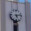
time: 5:12
